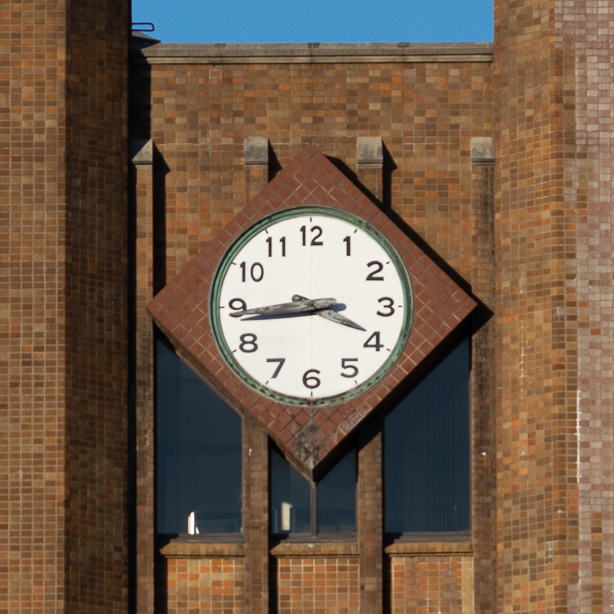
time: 3:43
